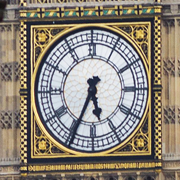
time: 5:34
